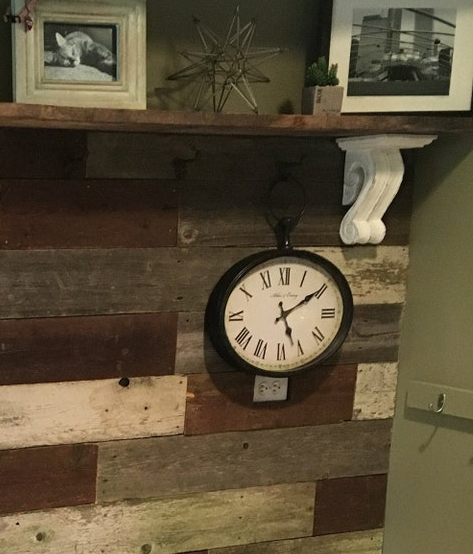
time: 5:09
